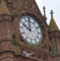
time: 9:59
